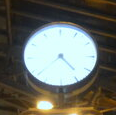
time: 4:38
